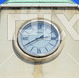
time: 2:40
